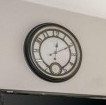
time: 12:10
